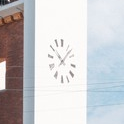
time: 10:07
